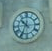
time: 10:34
